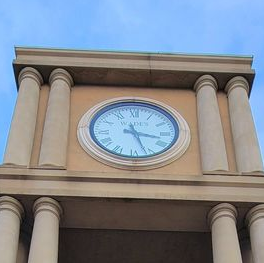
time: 3:26
